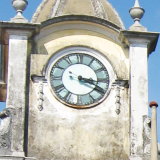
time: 3:19
